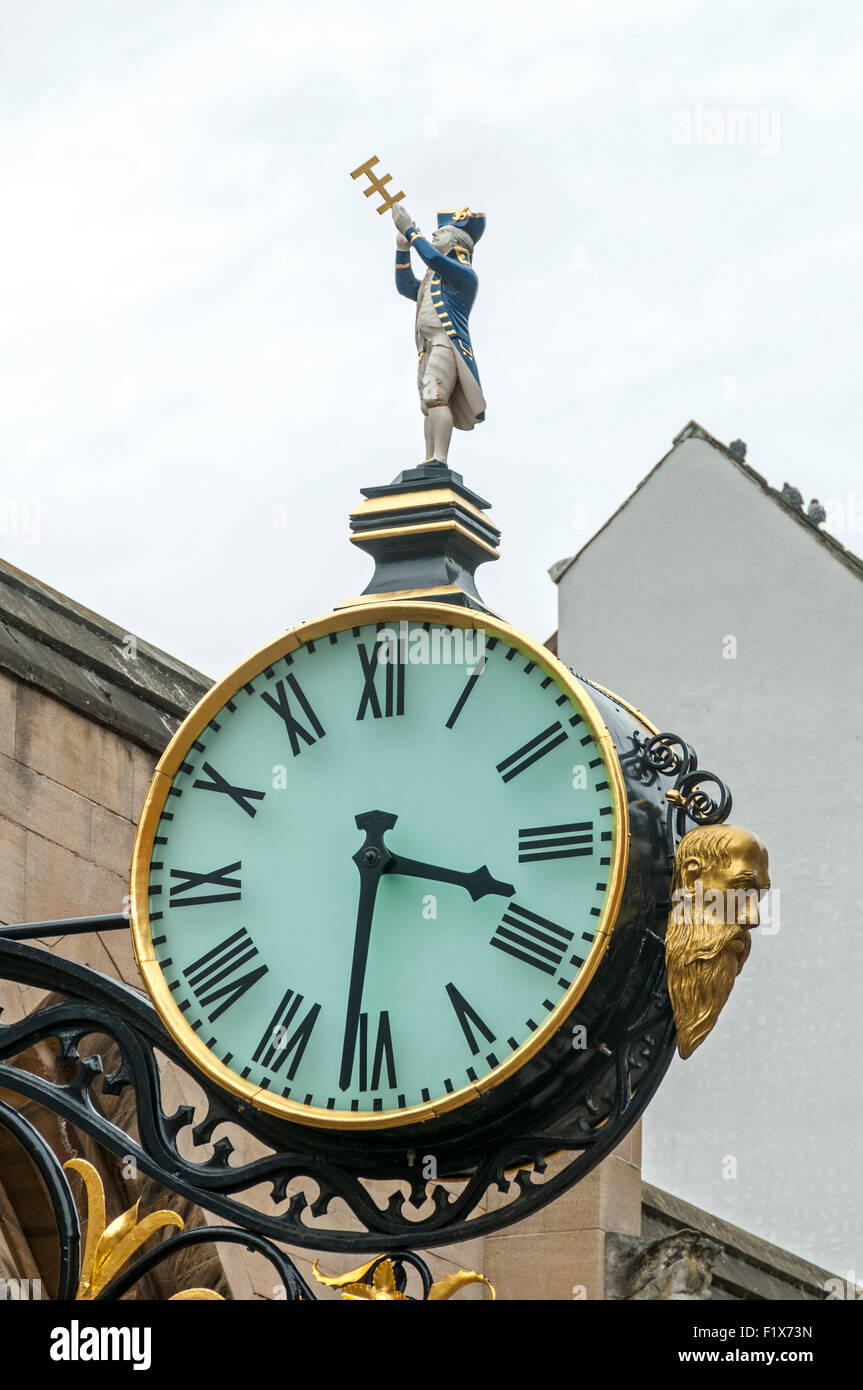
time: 3:31
